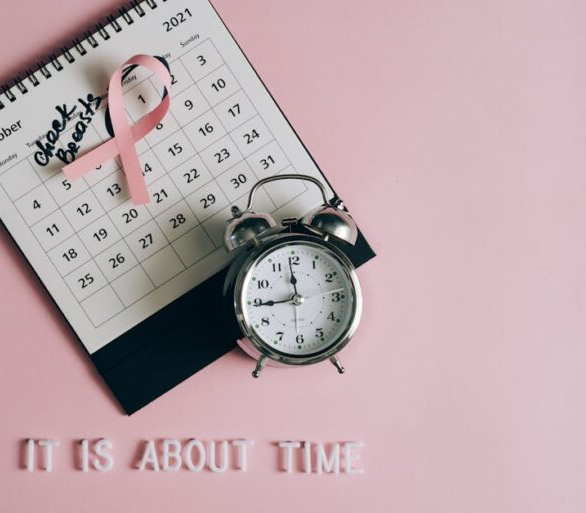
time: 11:44
